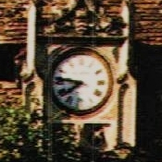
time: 7:46
